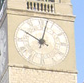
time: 10:02
